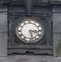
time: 3:27
